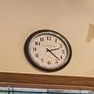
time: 2:22
